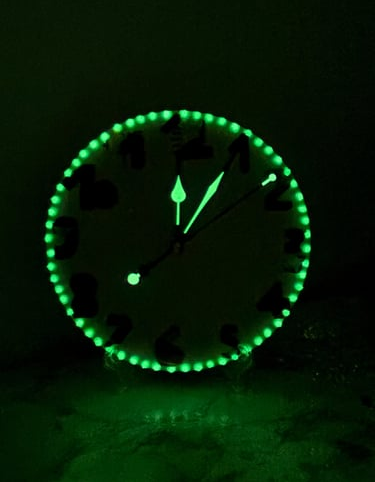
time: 12:05
